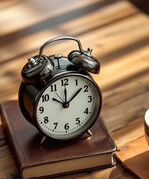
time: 10:08
